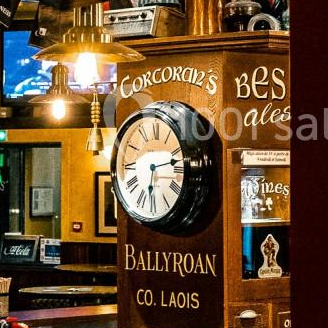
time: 6:13
